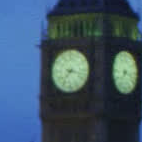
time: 7:17
